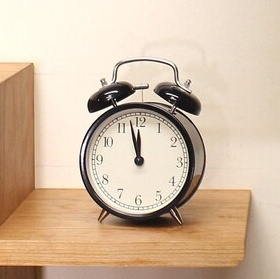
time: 11:57
